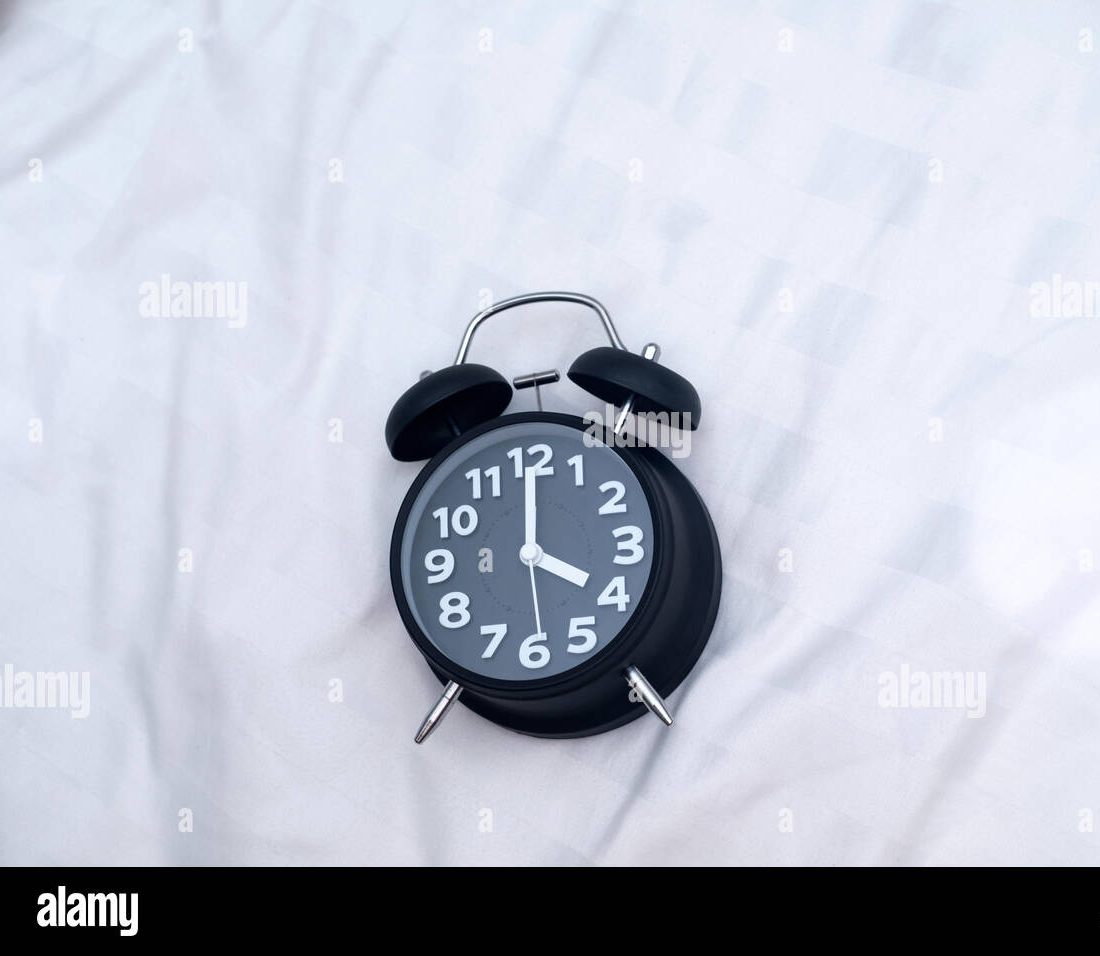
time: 4:00
